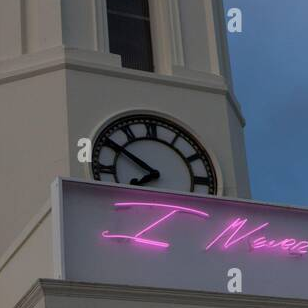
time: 7:50
